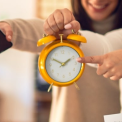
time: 1:50
